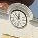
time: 11:52
